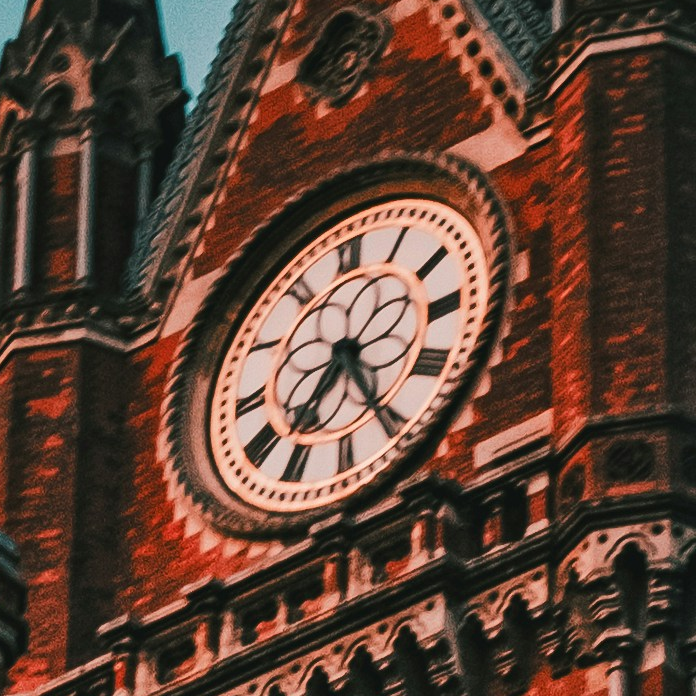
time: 7:25
